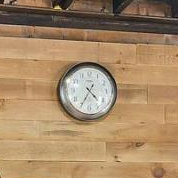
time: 4:35
